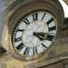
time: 4:18
